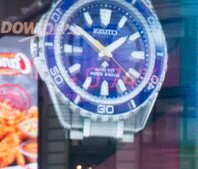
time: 1:50
